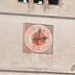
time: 3:01
